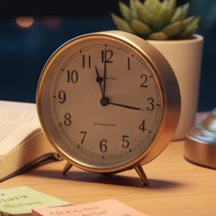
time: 11:16
